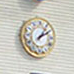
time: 2:06
